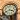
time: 3:40
